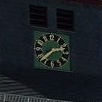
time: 2:38
